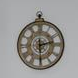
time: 2:29
